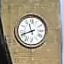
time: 11:41
